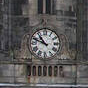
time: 10:48
